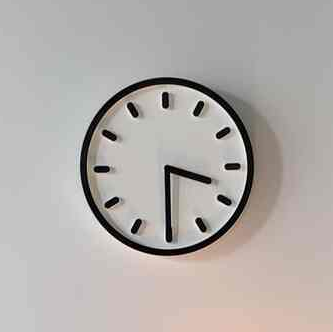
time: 3:29
